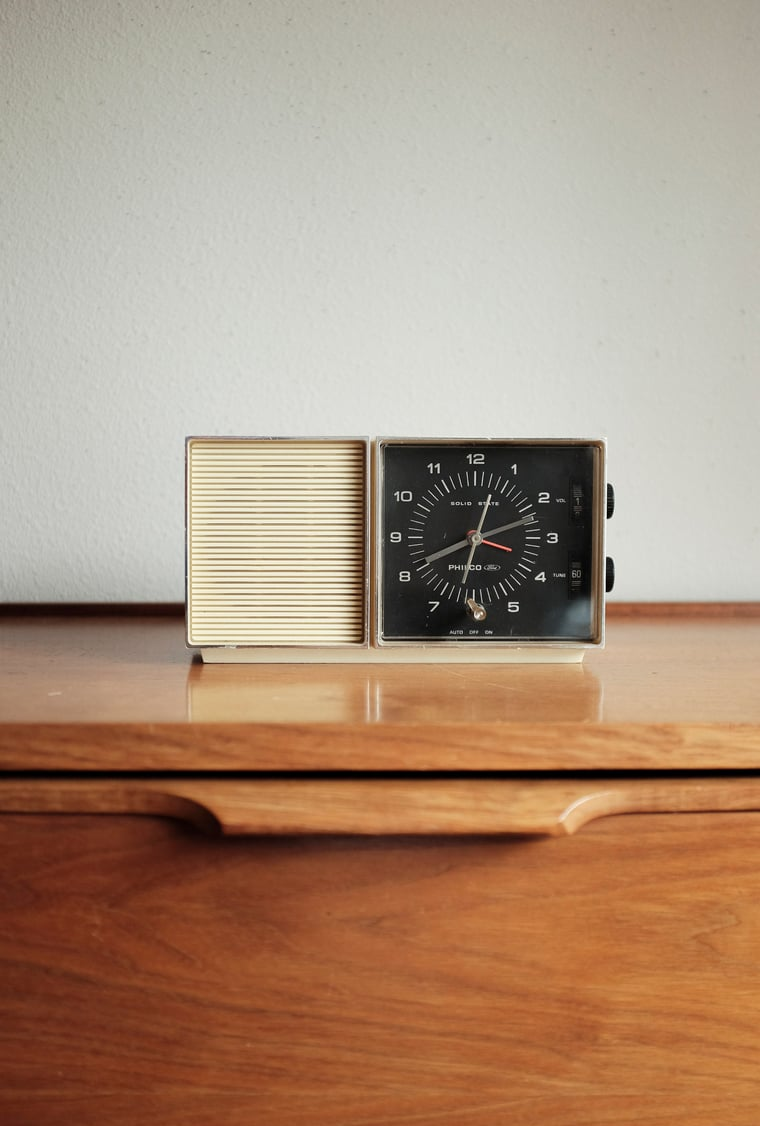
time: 8:03
